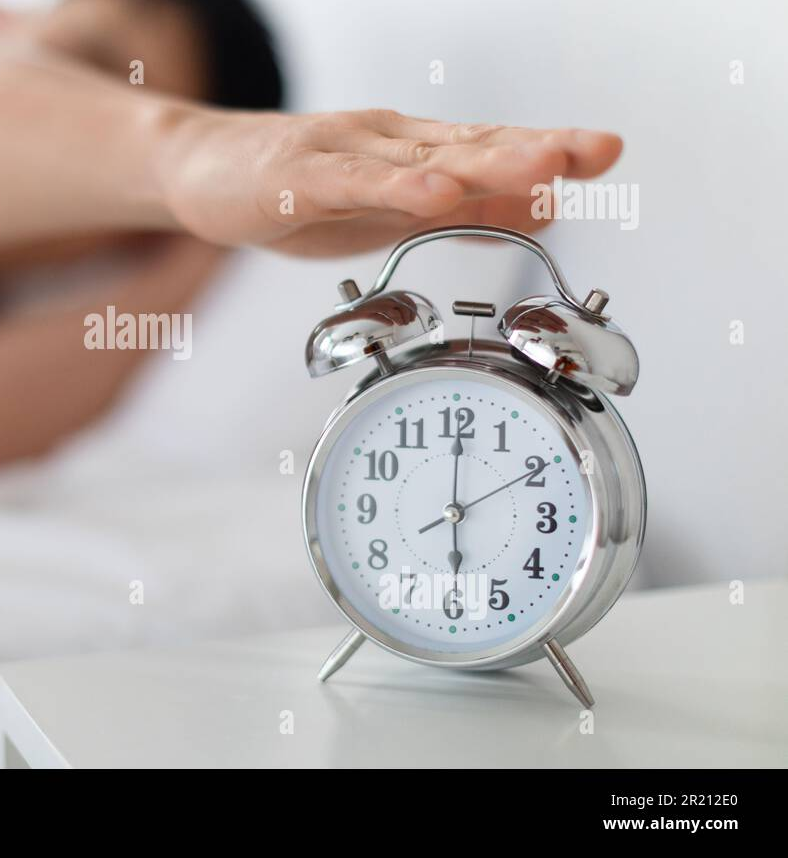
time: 6:00
